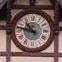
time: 10:47
